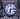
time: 6:13
